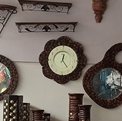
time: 12:23
